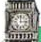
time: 2:59
